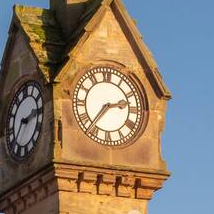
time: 2:36
